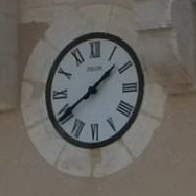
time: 1:39
